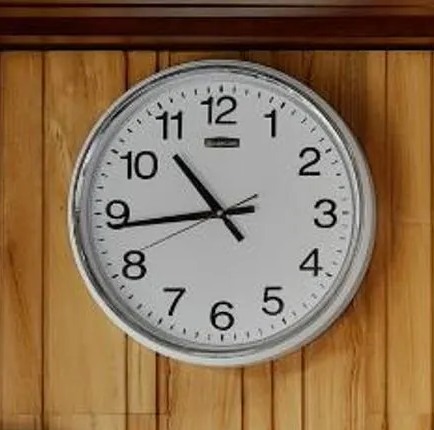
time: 10:43
